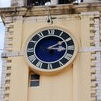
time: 3:09
